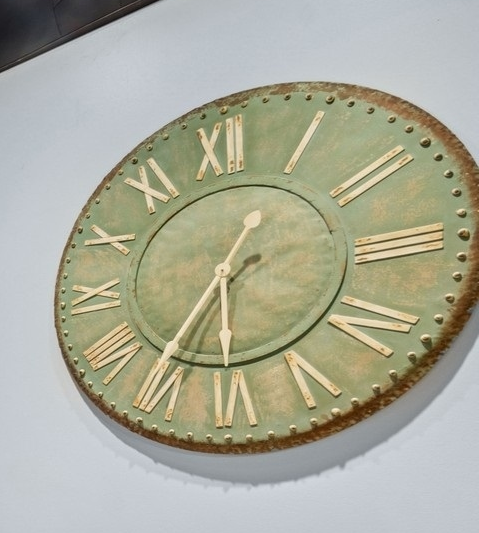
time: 5:35
